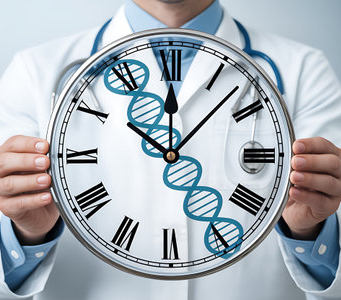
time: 10:07
